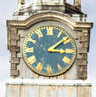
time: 3:08
